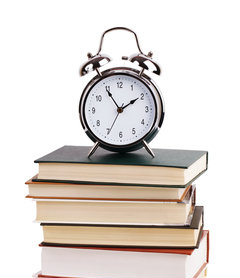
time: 1:54
